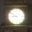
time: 8:51
